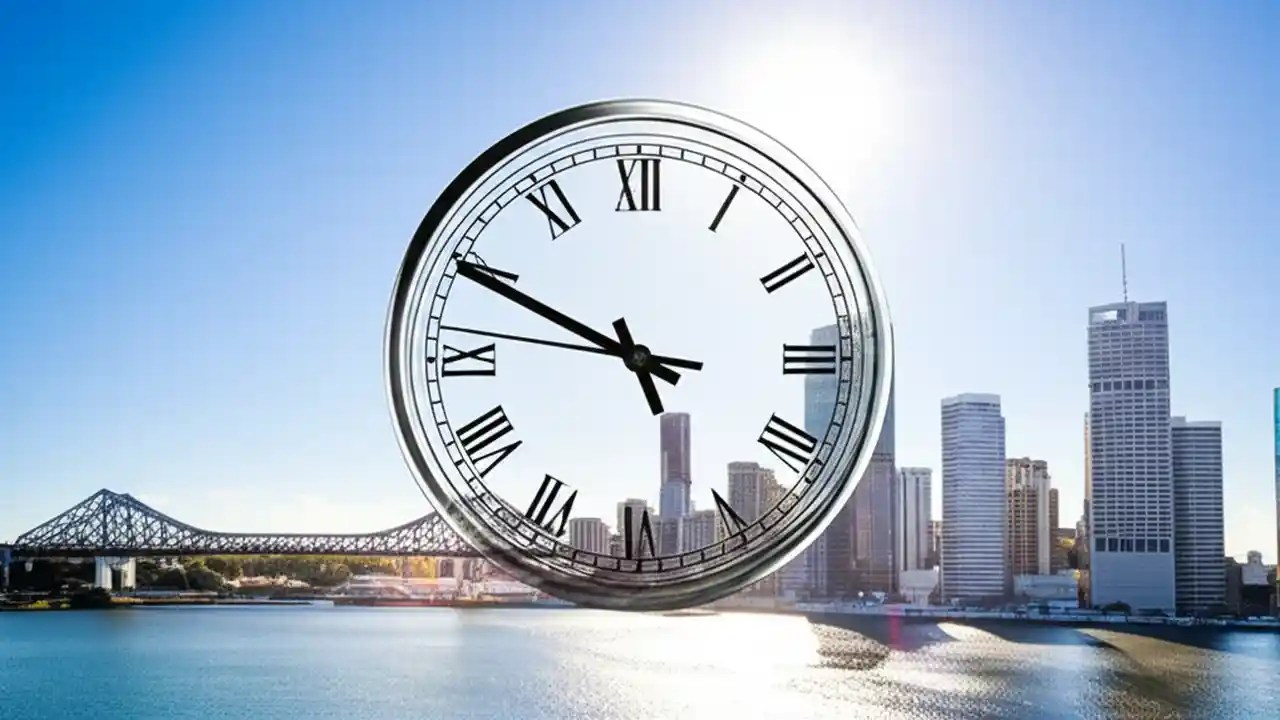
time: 4:49
